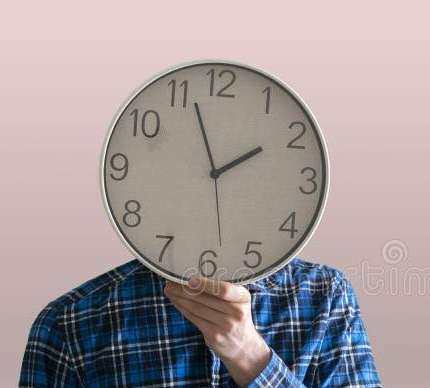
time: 1:56
